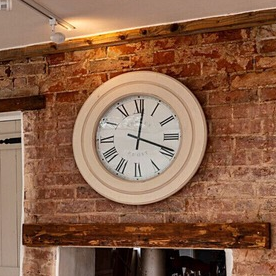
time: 12:18
